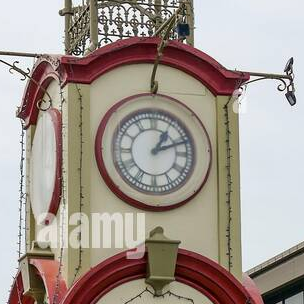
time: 1:11
